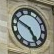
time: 4:48
